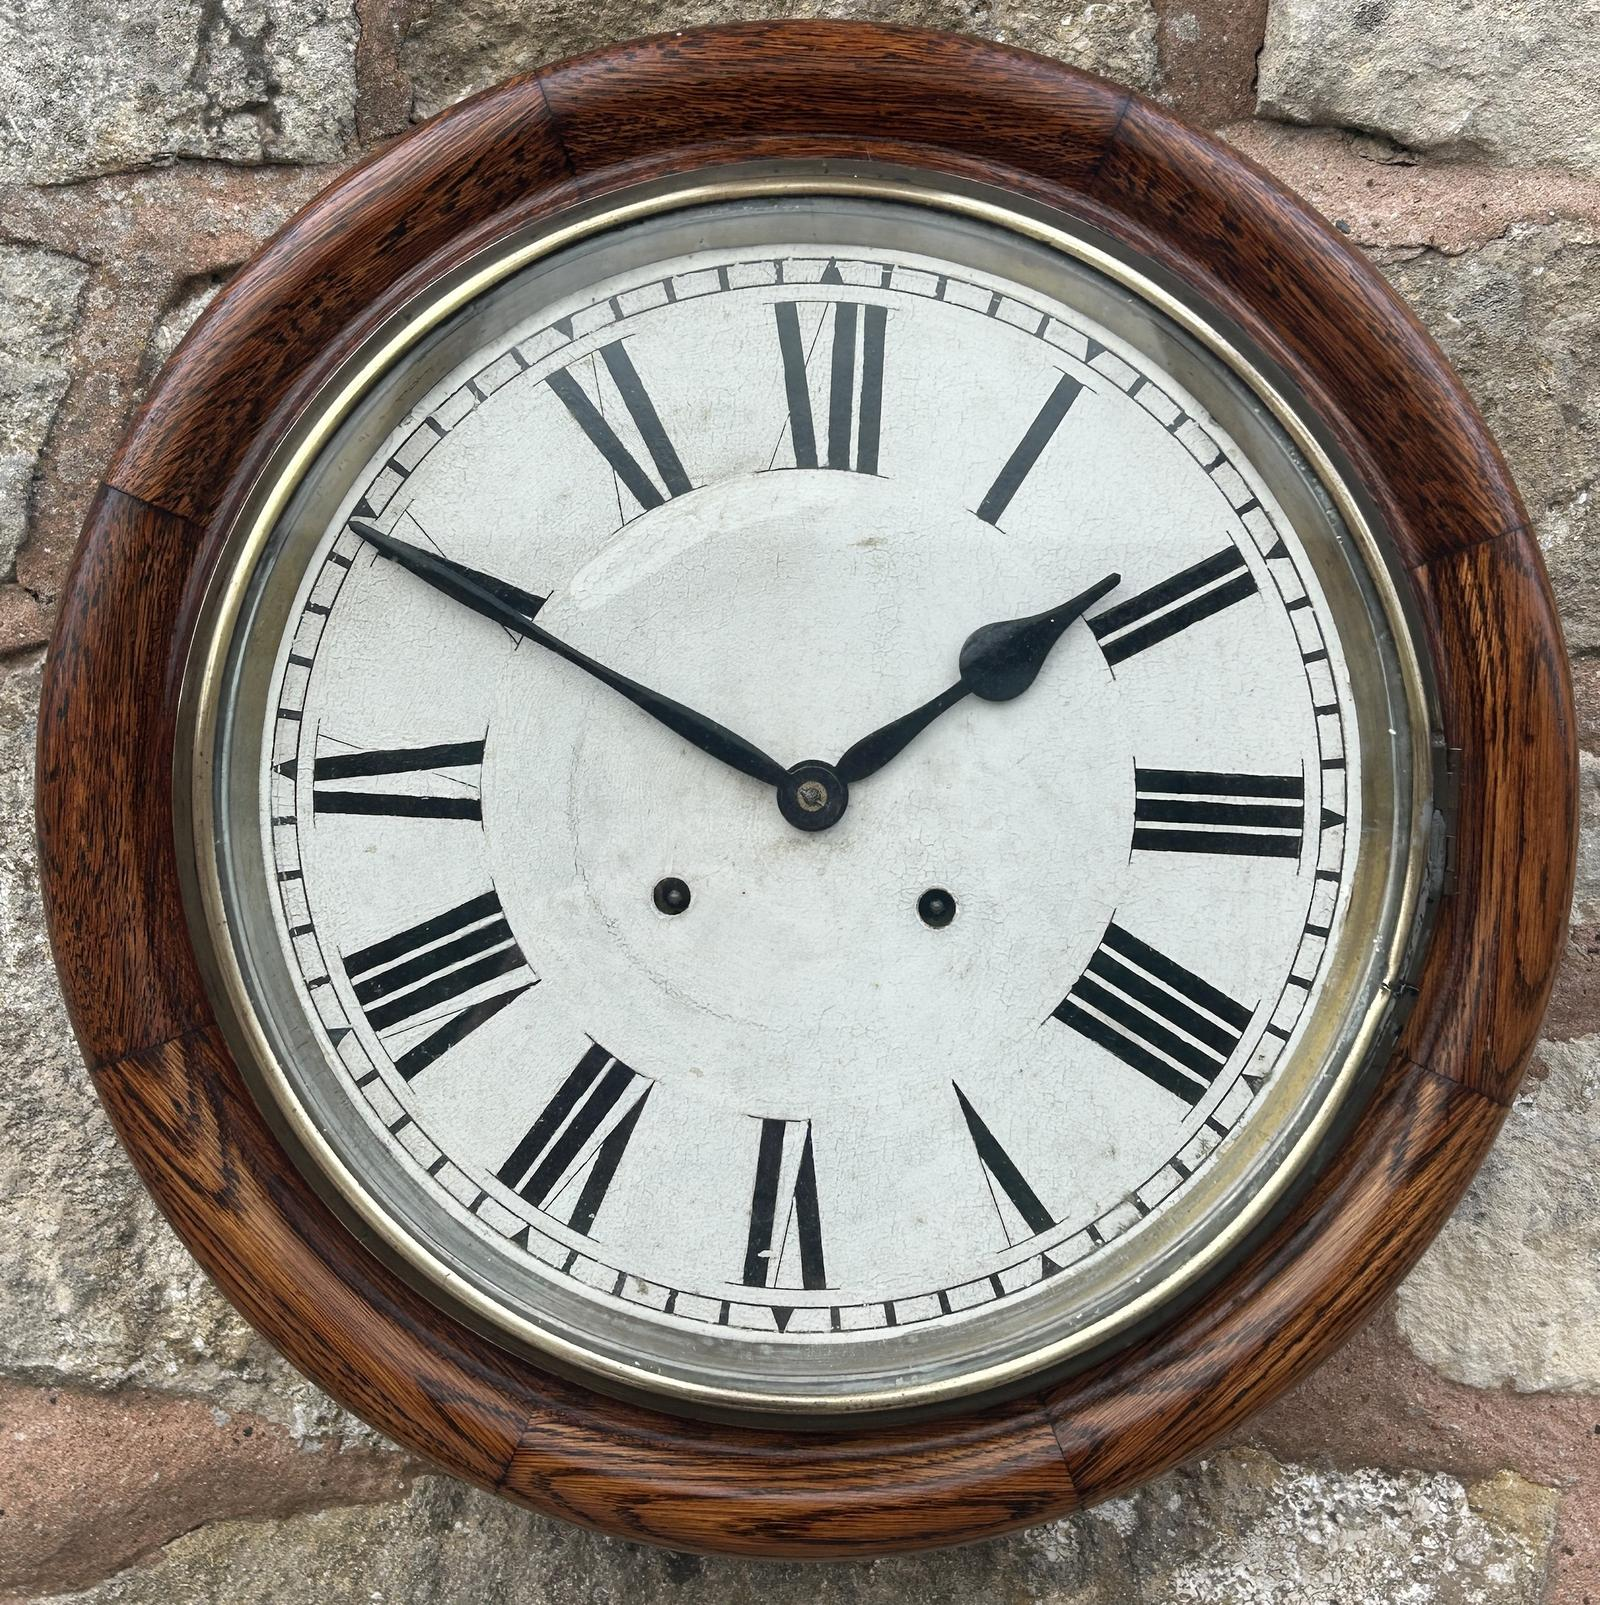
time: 1:49
